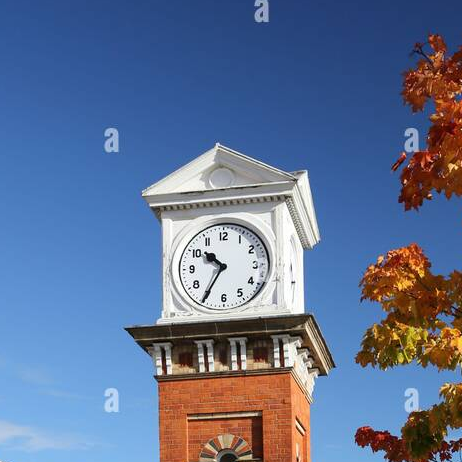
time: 10:35
